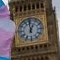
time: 12:59
